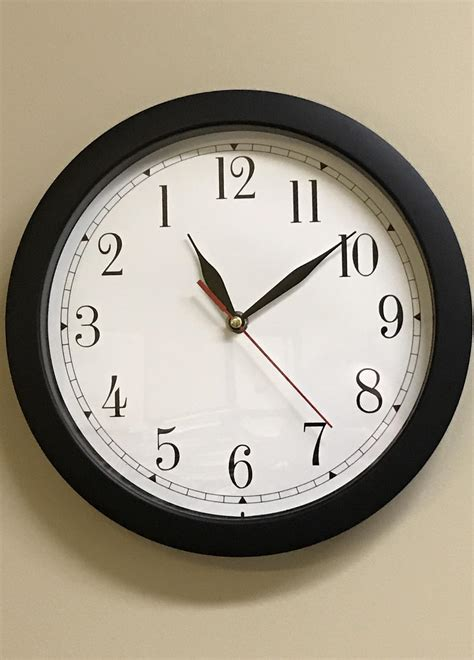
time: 11:09
